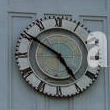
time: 4:50
